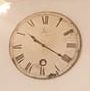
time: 10:20
